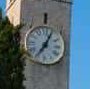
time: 7:04
